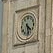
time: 4:28
